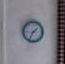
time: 1:34
